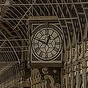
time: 12:48
